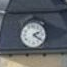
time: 2:21
